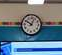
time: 10:03
